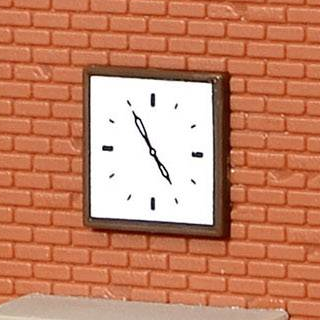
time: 4:54
